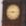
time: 9:14
